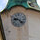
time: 9:22
